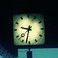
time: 9:32
